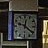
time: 12:21
